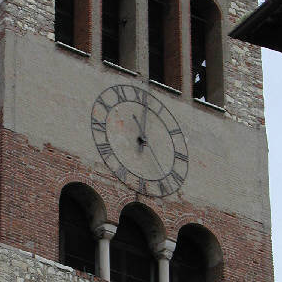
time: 11:01
